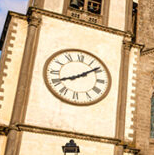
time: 8:08
